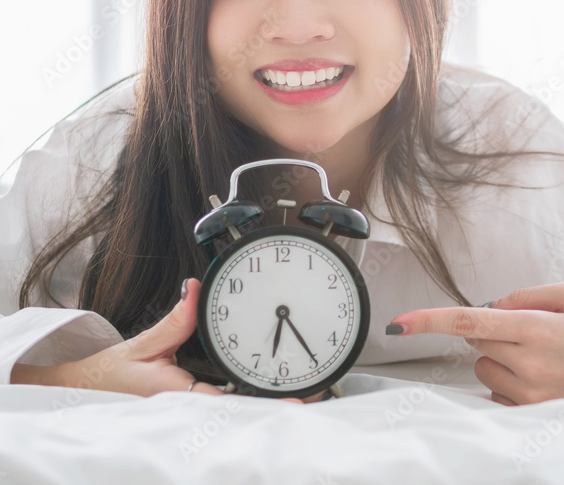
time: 6:24
